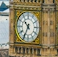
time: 10:34
